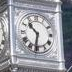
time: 10:31
